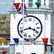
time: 8:18
